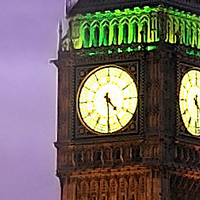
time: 4:29
